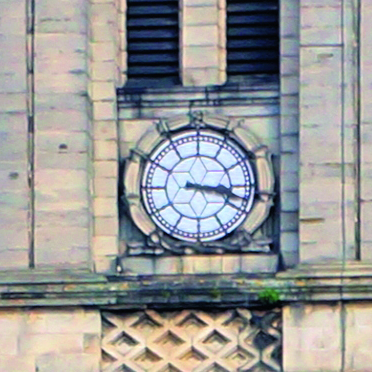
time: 3:17
